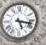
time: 5:17
